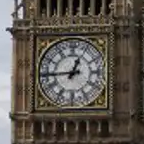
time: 12:44
